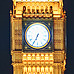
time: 6:34
